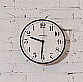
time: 9:31
